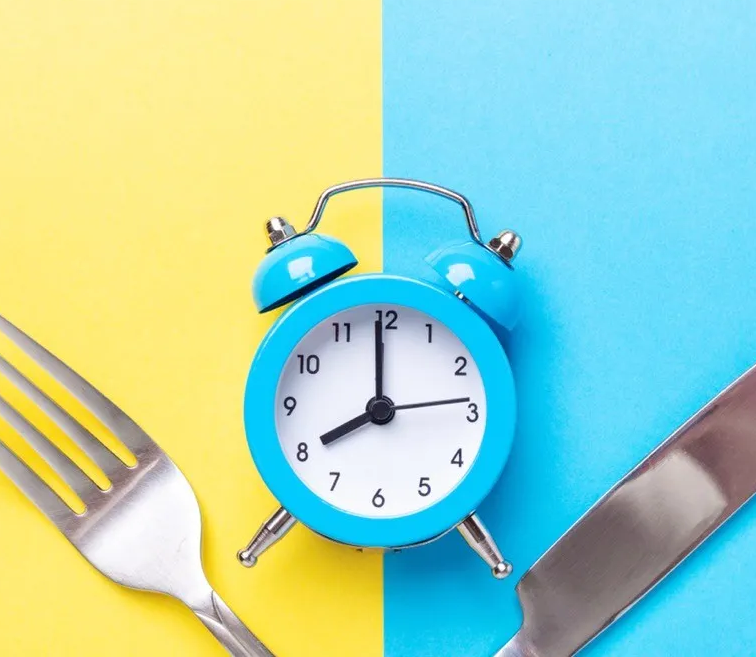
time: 7:59
